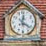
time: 12:21
